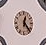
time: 12:23
